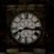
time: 8:17
